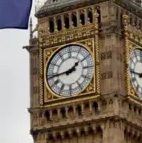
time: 1:43
